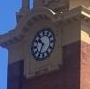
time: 10:34
